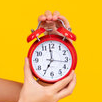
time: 6:59
